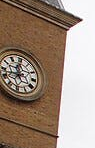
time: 11:42
